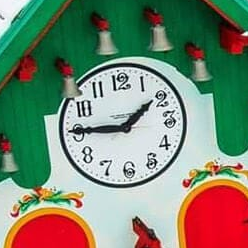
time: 1:45
